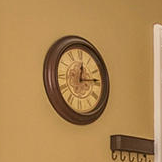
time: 12:13
